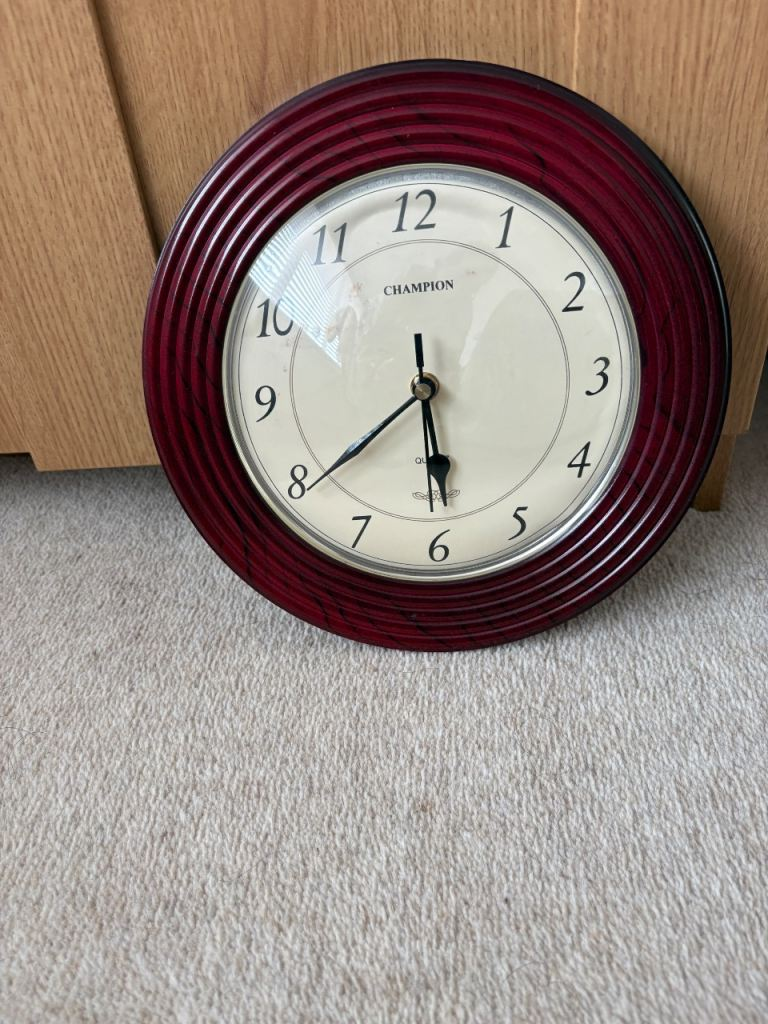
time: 5:39
